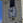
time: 9:01
